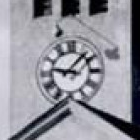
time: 9:07
